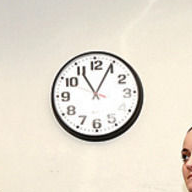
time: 11:04
